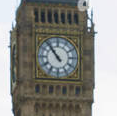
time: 10:53
